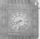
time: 7:42
